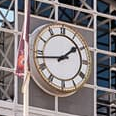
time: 1:43
